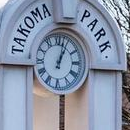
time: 1:02
